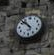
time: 10:52
